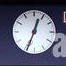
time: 12:33
